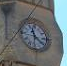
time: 11:21
